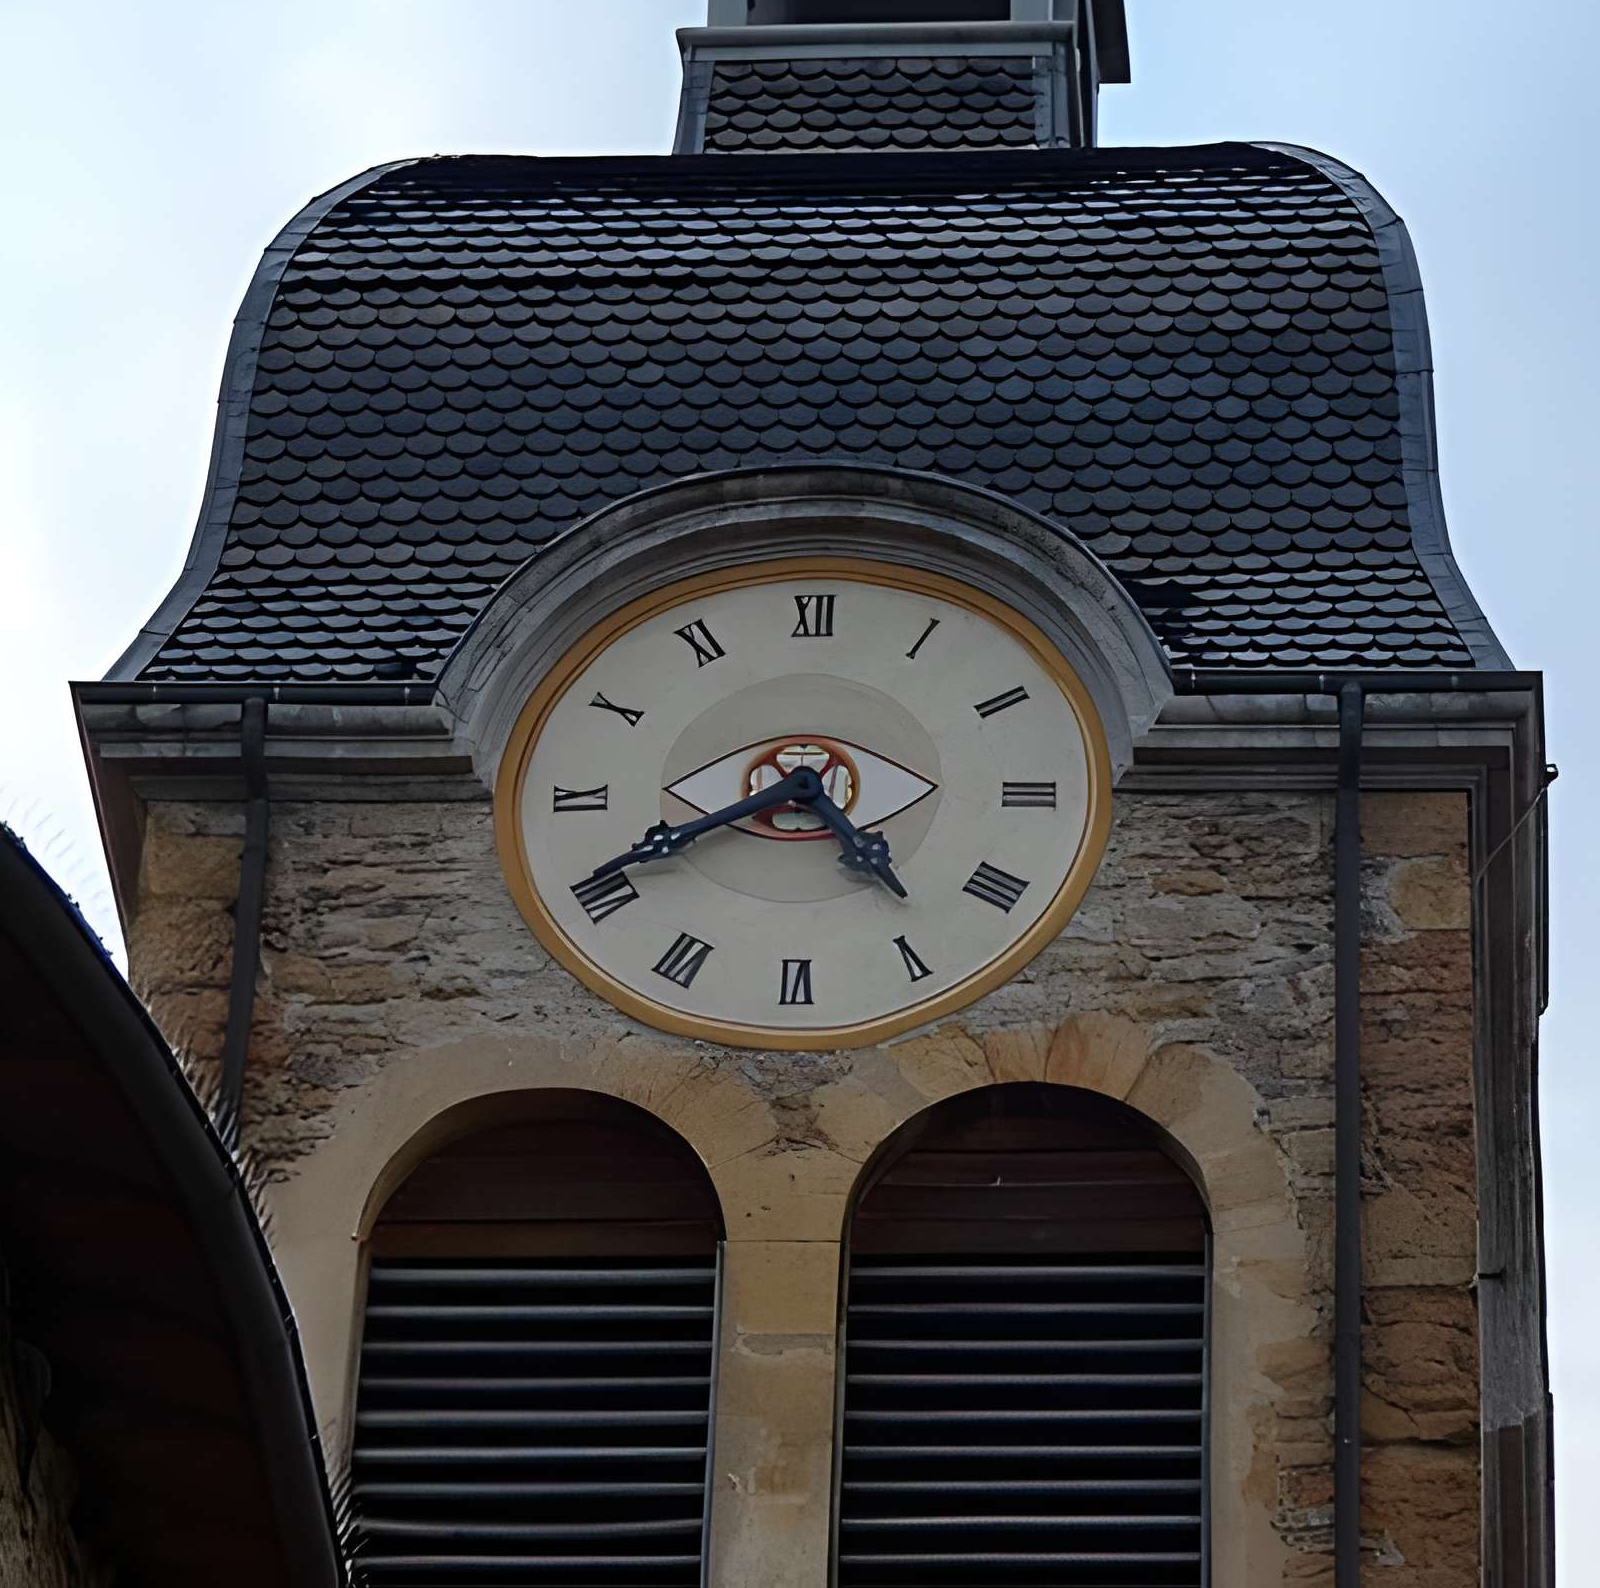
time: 4:40
